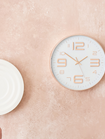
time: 1:50
